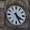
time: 4:26
